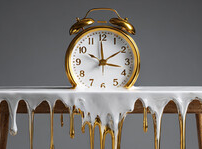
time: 1:59
